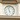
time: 4:57
